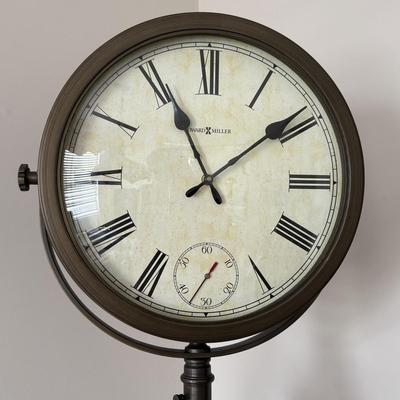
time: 11:08
